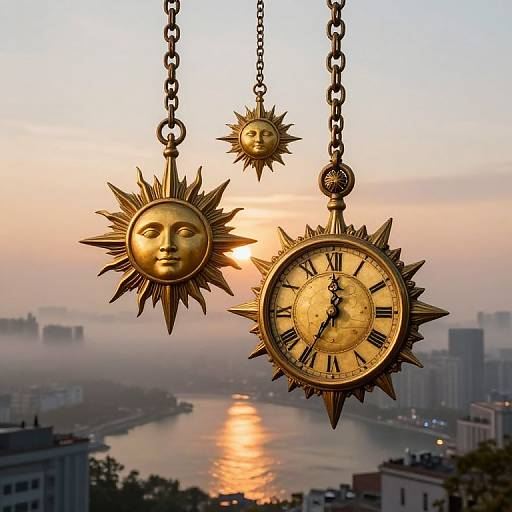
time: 7:00
